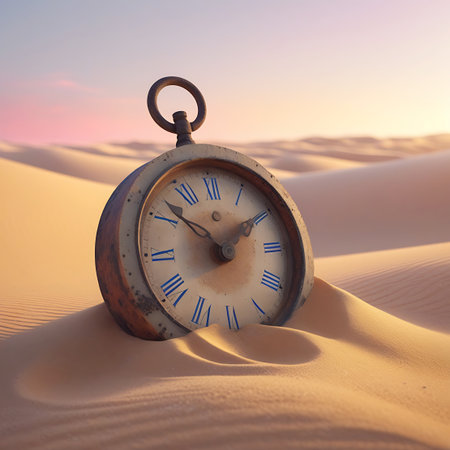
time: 1:52
